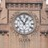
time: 12:53
